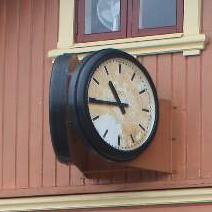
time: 10:44
